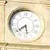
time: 5:38
